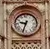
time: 9:33
